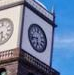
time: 5:42
